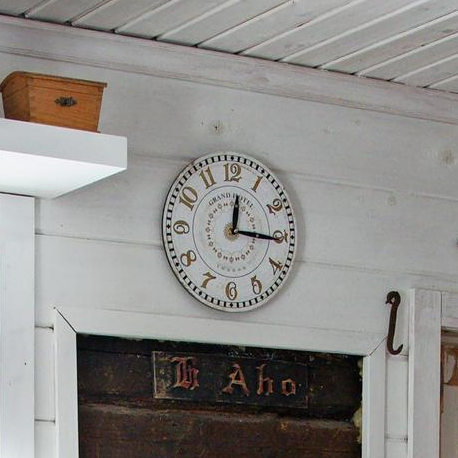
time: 12:15
